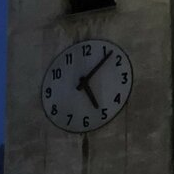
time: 5:07
